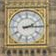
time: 2:14
